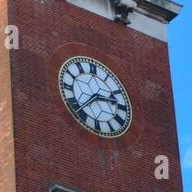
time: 2:37
